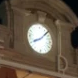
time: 8:07
